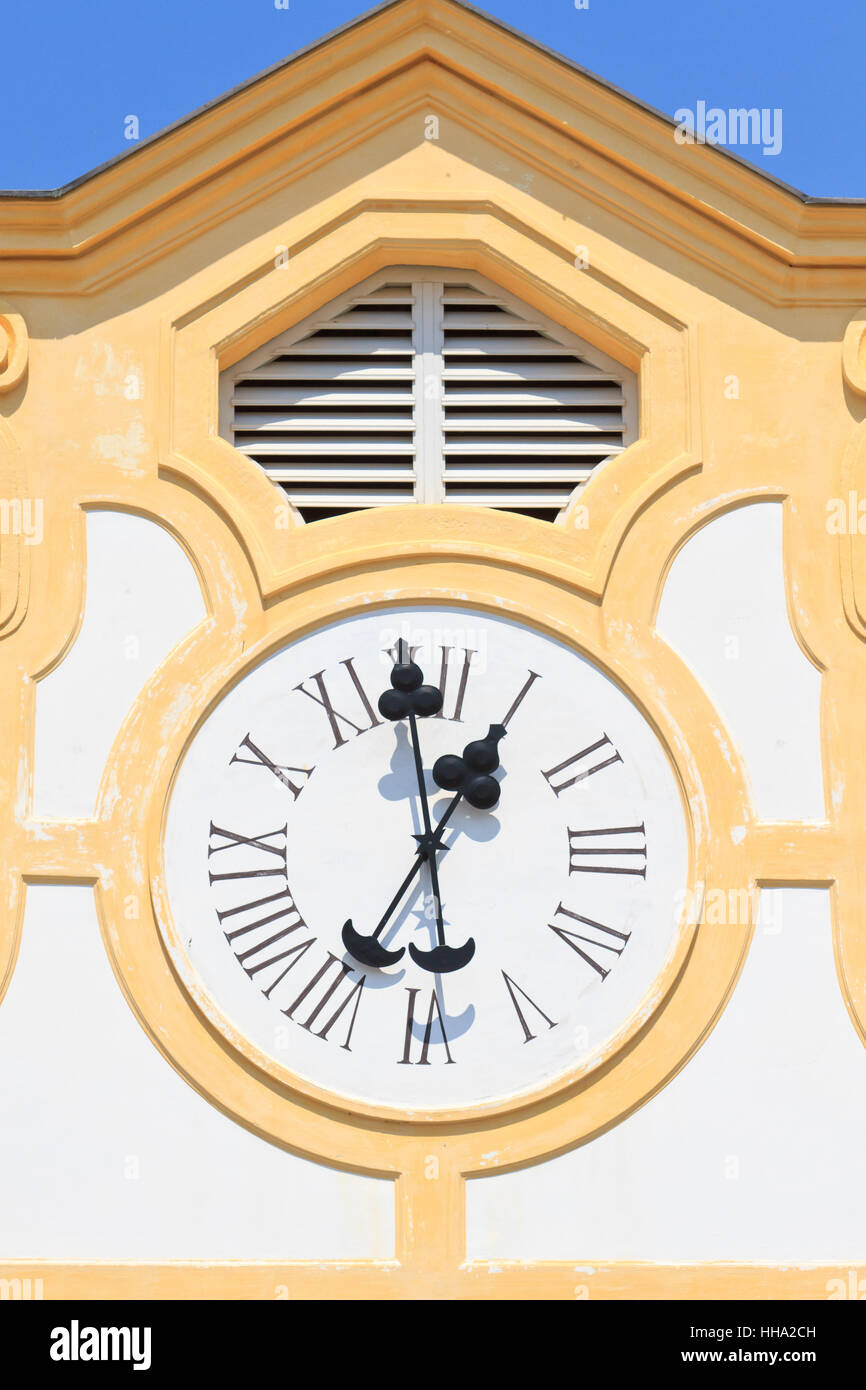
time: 12:58
